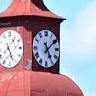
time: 5:08
